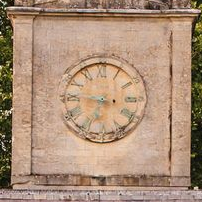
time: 6:46
